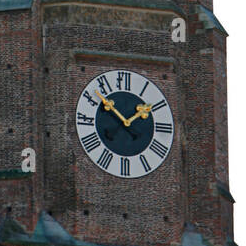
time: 1:52
